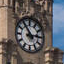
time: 2:54
